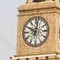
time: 10:02
